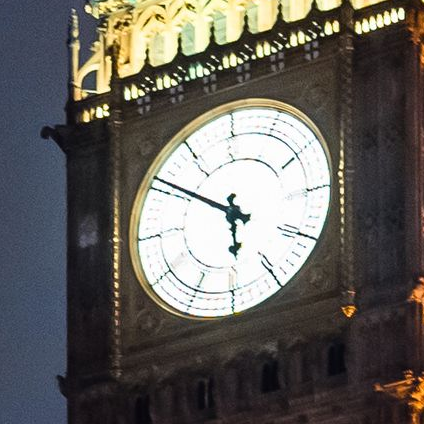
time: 5:50
